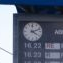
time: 4:11
